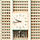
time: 9:42
